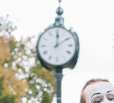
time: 12:09
